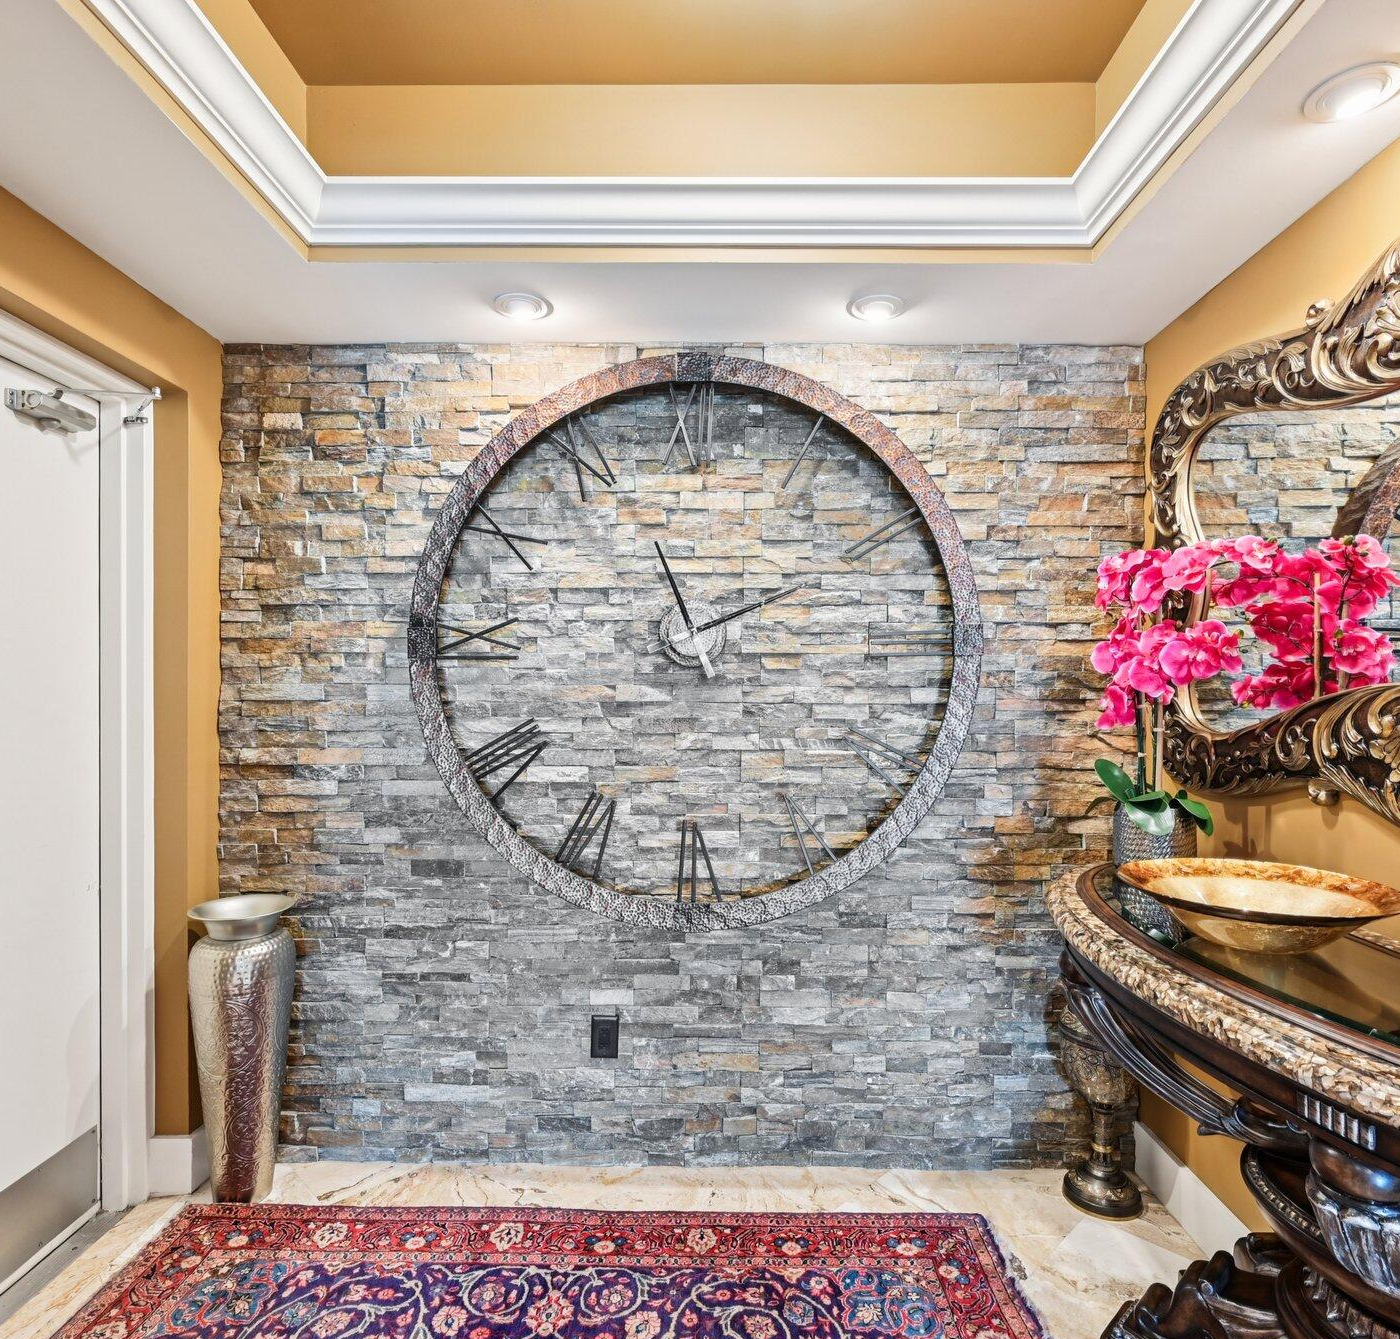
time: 1:56
